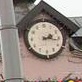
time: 2:16
